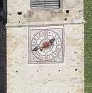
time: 1:41
